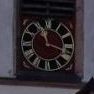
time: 11:18
